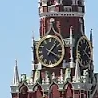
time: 1:20
